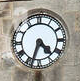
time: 4:33
